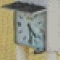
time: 4:29
